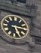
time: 5:14
